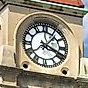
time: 1:18
